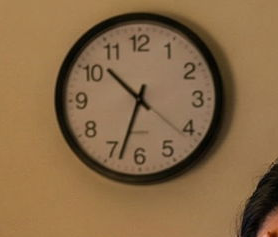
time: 10:33
